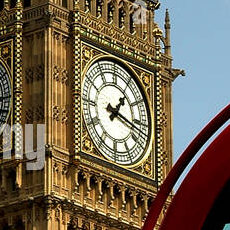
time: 1:17
